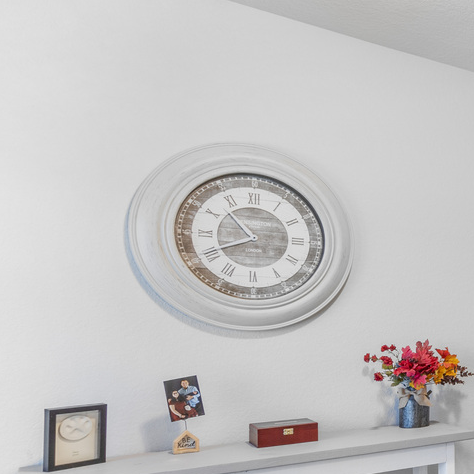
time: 10:42
